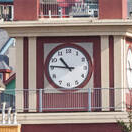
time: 10:45
